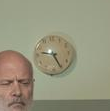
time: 9:25
